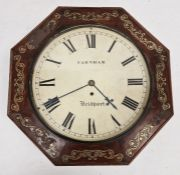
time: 4:40
